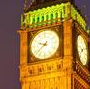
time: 9:38
